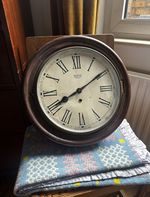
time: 8:09
